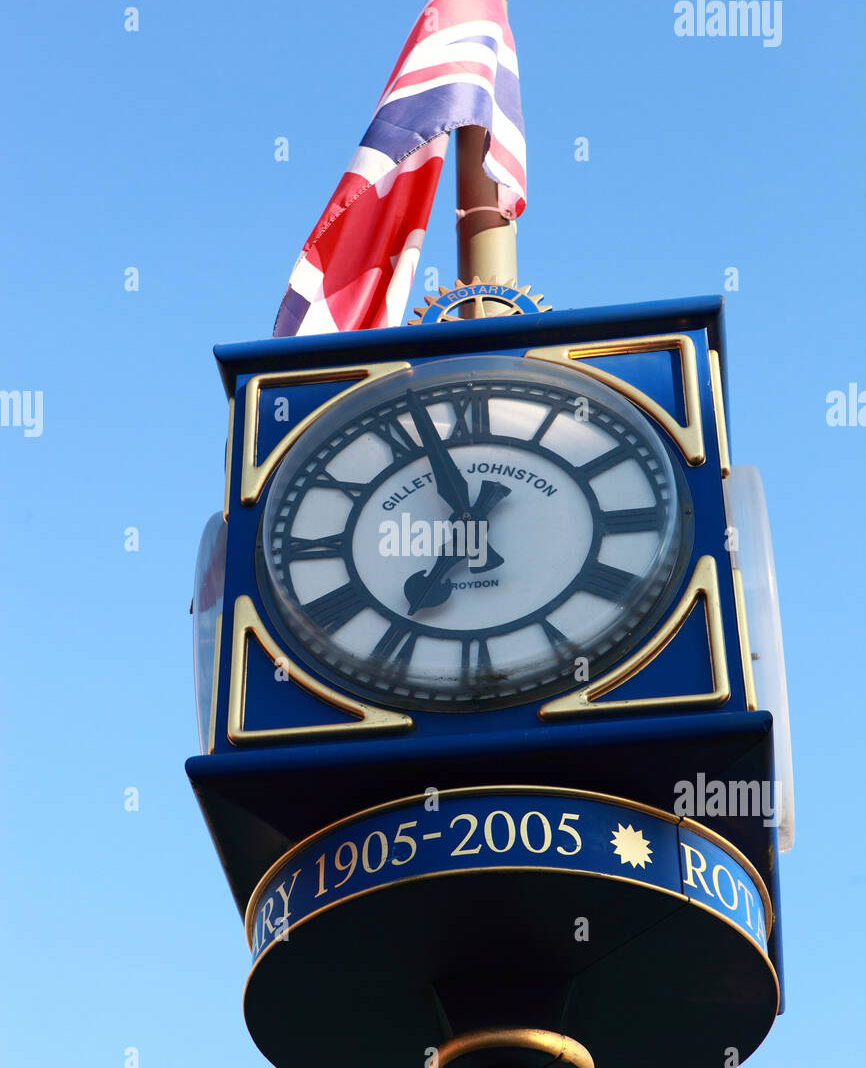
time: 6:56
